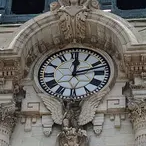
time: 12:12
